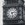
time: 2:28
